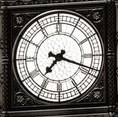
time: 7:18
